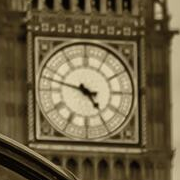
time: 4:47
